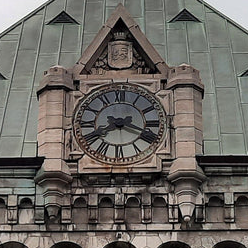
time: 3:40
